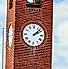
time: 2:07
